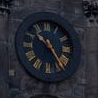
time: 10:24
